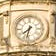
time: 7:32
